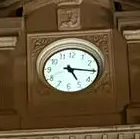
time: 5:15
